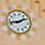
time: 1:42
